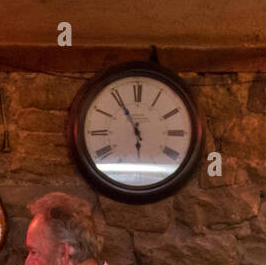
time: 5:54
